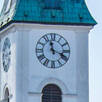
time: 11:18
